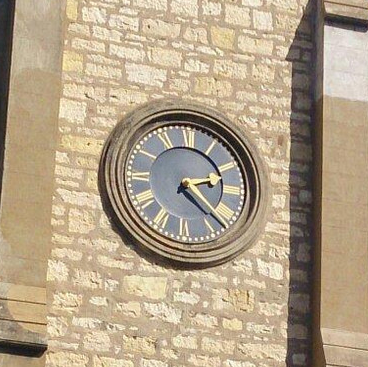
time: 2:22
